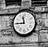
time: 11:44
